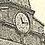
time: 11:13
